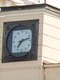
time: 7:12
